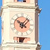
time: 10:07
